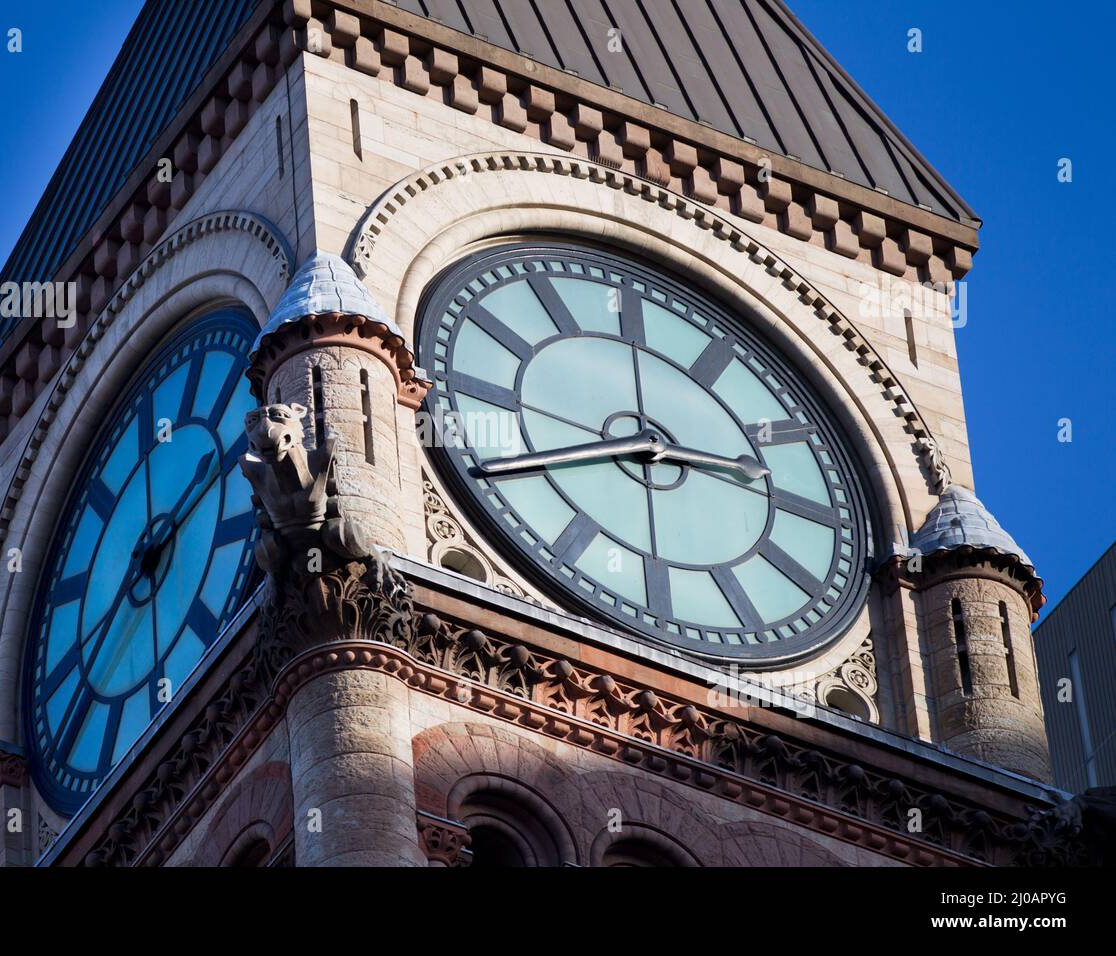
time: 2:40
